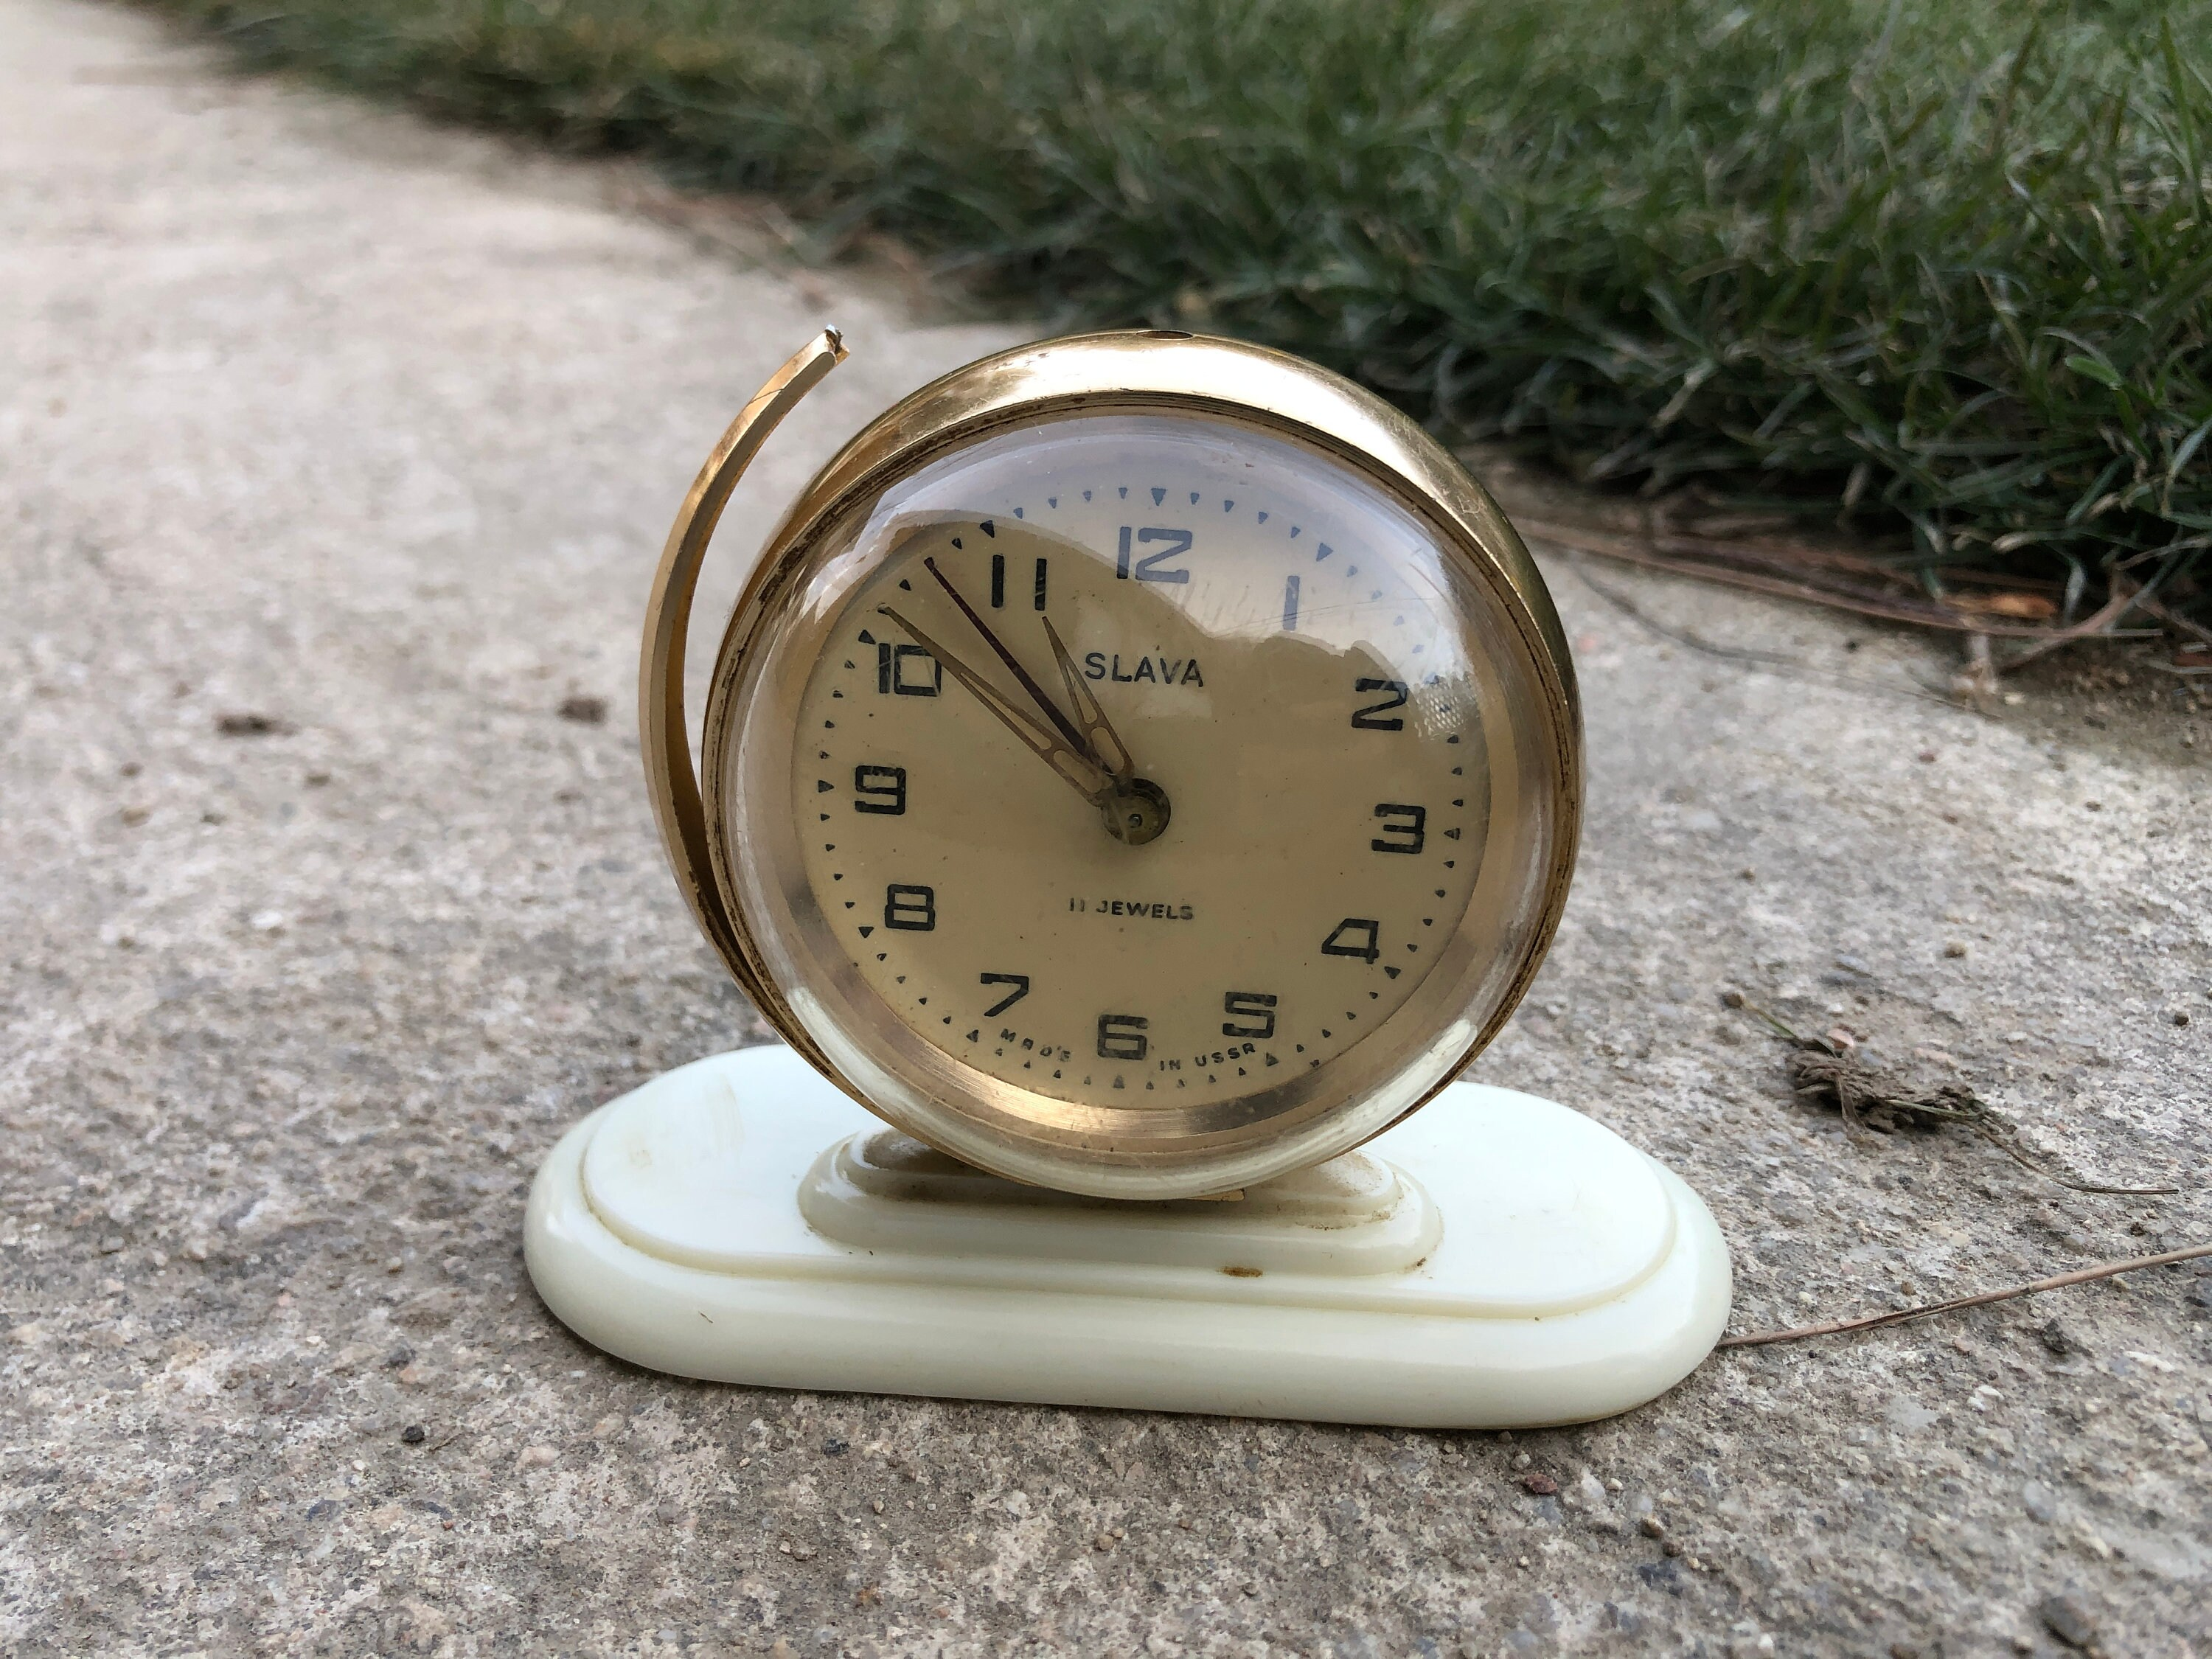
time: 10:52
